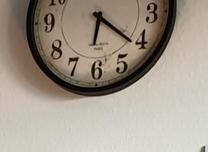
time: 6:21
